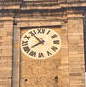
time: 7:53
